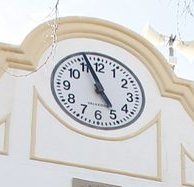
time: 4:56
